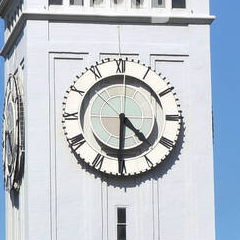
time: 4:30
